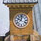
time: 10:02
